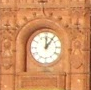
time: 12:06
